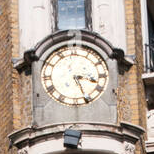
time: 3:26
